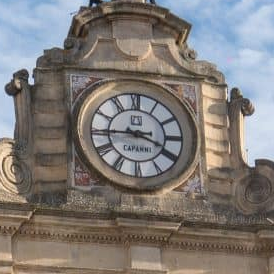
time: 3:44
